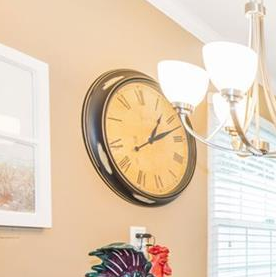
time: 1:12
